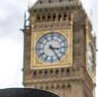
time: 3:24
